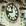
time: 11:42
